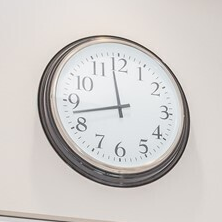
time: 11:42
